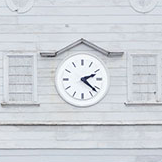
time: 2:21
